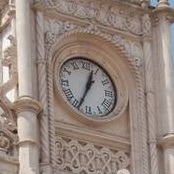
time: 12:34
